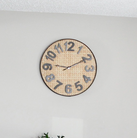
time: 9:10
